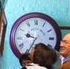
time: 9:34
